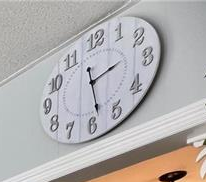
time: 2:28
